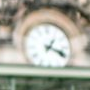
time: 1:18
